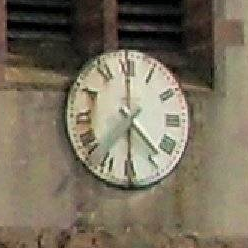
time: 4:30
